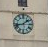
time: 1:42
